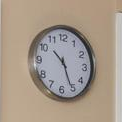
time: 10:25
